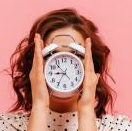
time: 8:53
